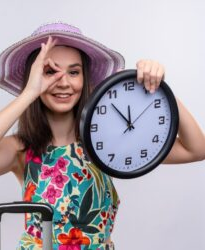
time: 11:52
